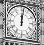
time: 12:01
